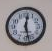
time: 12:27
